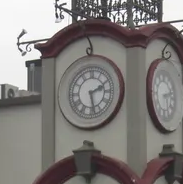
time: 2:27
